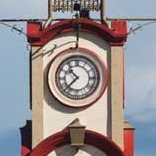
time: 10:37
